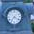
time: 7:20
